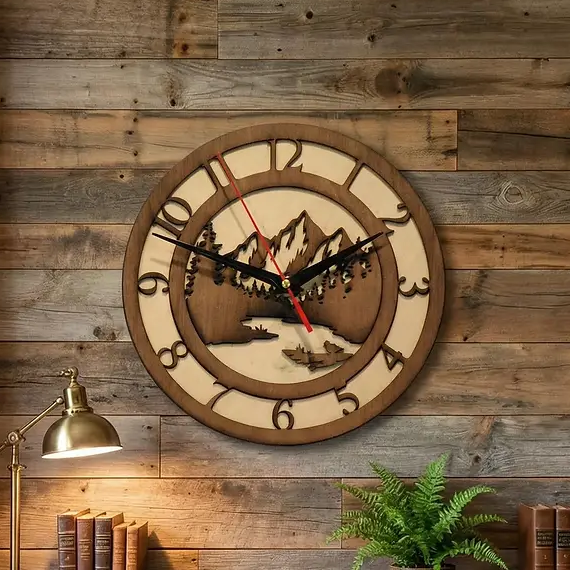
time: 1:48
